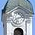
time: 8:12
